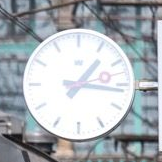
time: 1:16
